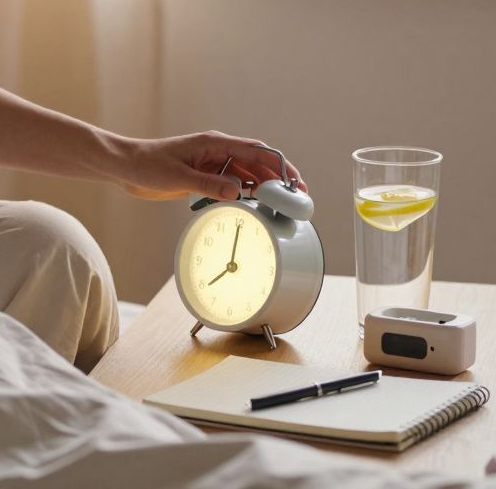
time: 8:00
